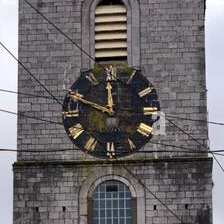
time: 11:48
